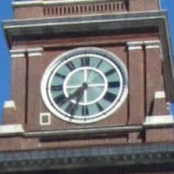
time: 7:33
